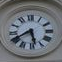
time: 5:40
